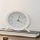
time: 4:02
